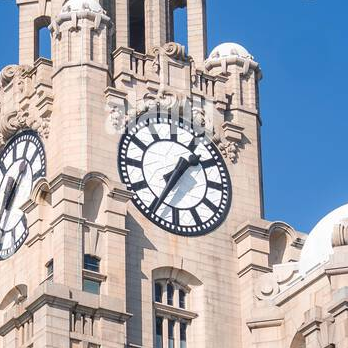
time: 1:35
